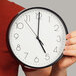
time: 5:00
